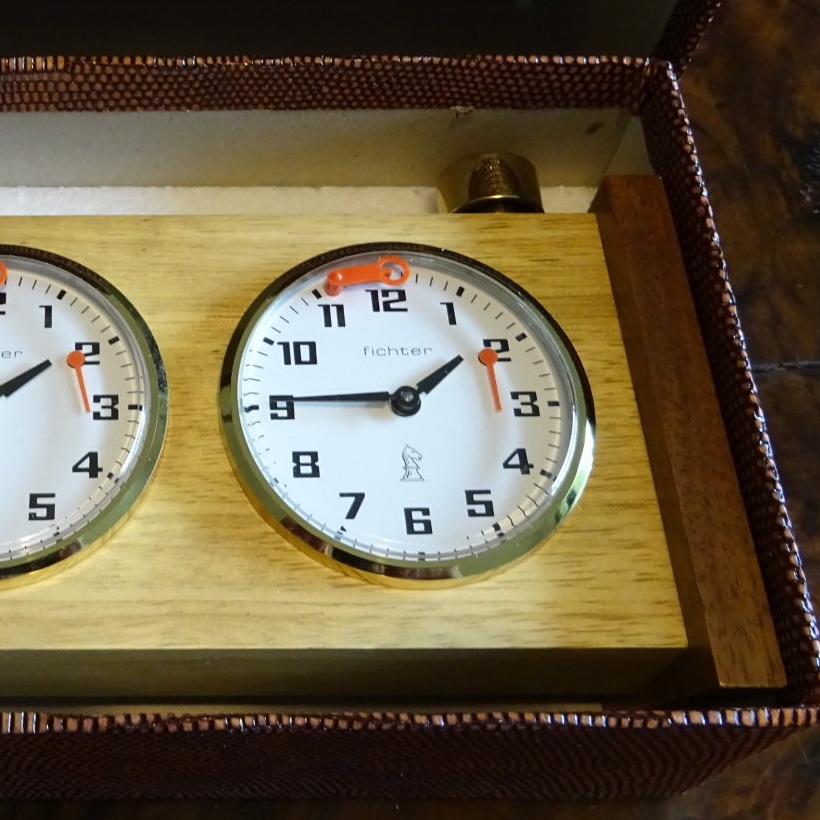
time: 1:45
